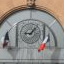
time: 9:05
